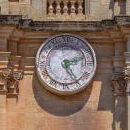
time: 2:25
